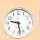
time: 9:28
